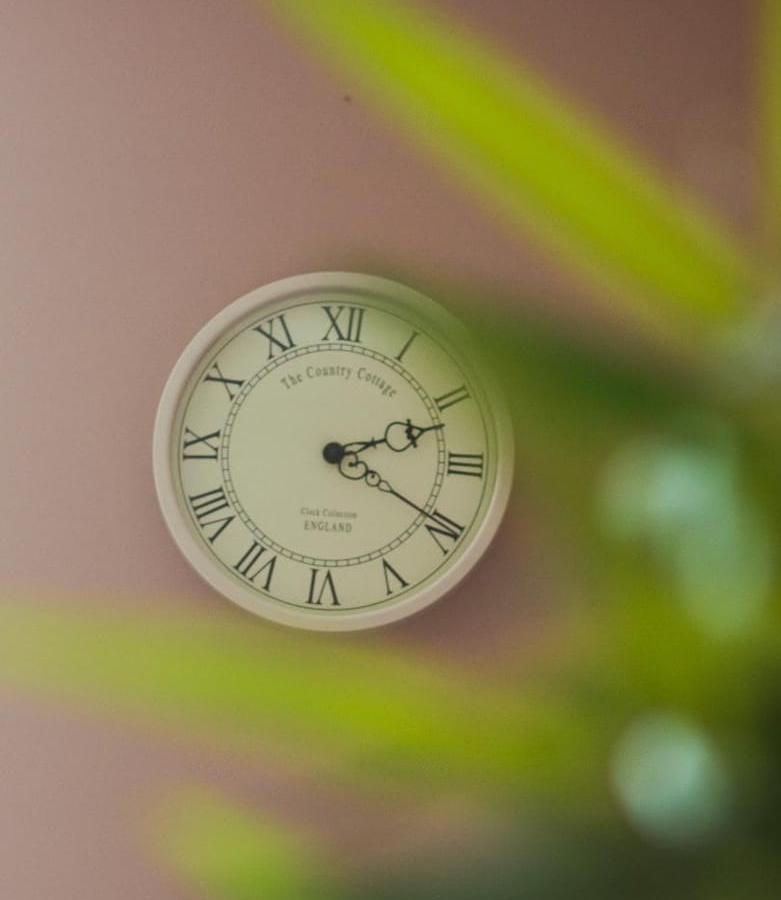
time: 2:19
